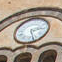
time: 2:26
